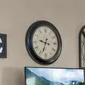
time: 9:33
